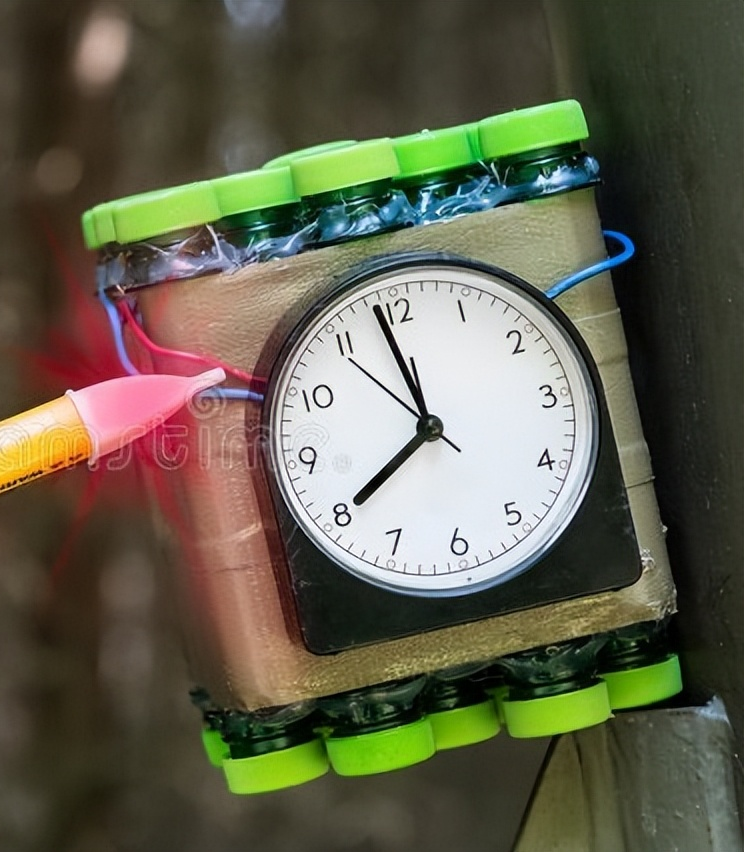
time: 7:58
